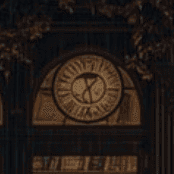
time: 1:28
